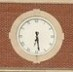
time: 6:28
